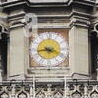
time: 3:43
